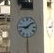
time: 9:08
